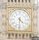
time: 4:30
